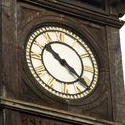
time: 10:21
